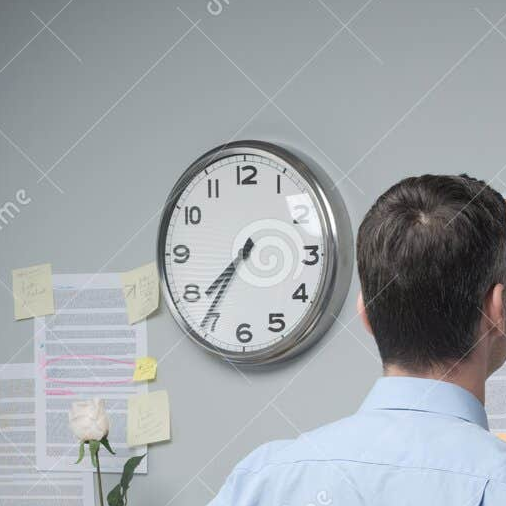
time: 7:35
